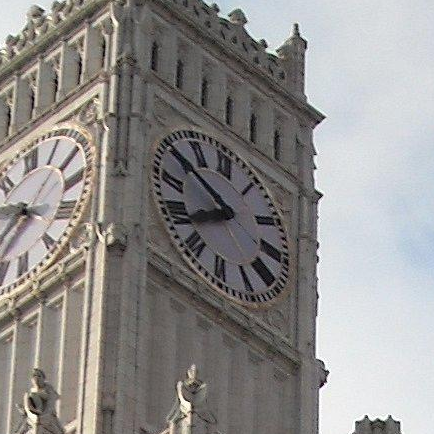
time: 7:50
